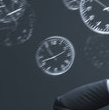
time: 10:42
